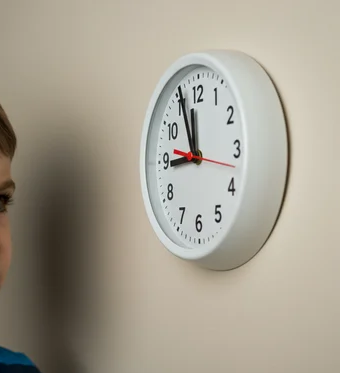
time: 8:56
